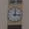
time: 12:16
